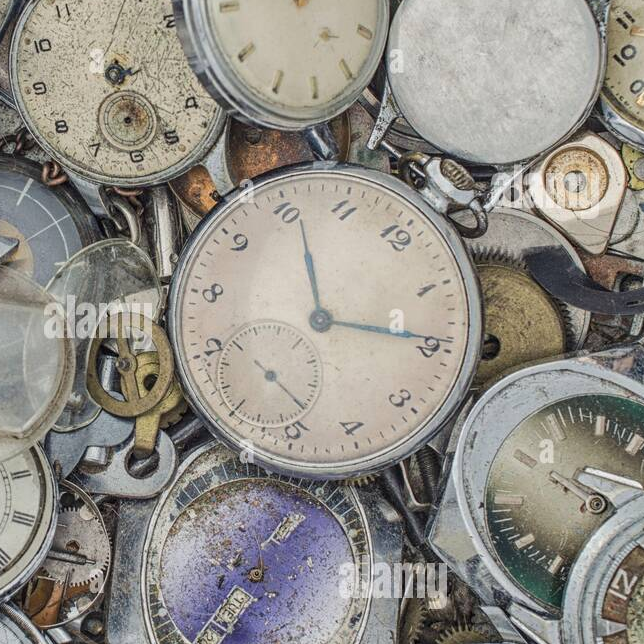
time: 11:14
